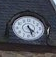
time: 4:26
